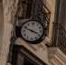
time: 3:48
